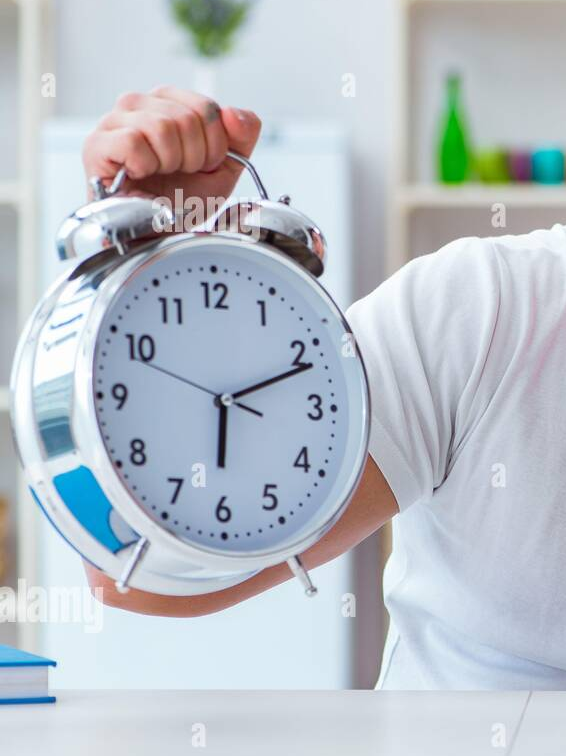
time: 6:11
